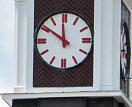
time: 11:50
